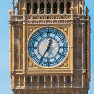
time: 12:35
